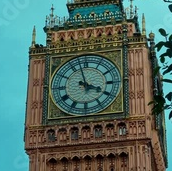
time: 3:57
